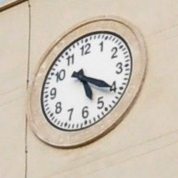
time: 5:20
